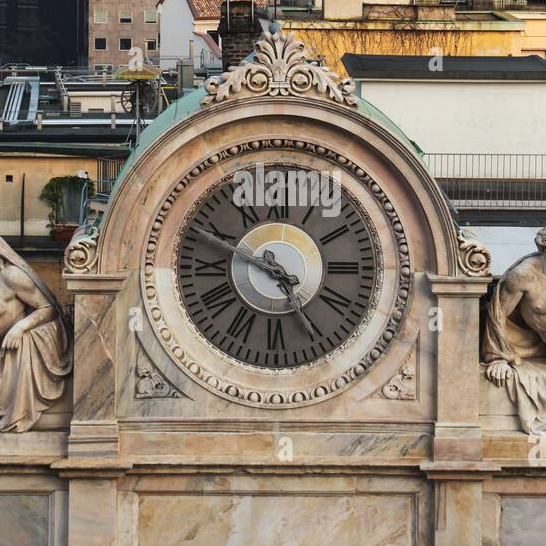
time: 4:48
